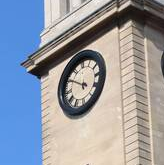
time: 3:50
